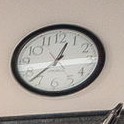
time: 12:37
